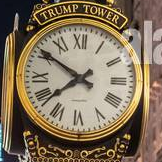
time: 7:50
